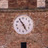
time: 4:54
